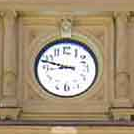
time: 8:47
